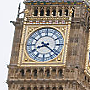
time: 8:21
